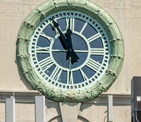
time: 11:55
